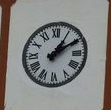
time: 1:09
